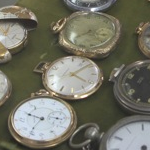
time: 4:08
